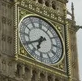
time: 6:40
